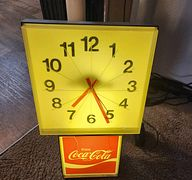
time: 7:26
